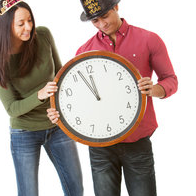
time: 11:56
